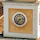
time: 7:12
